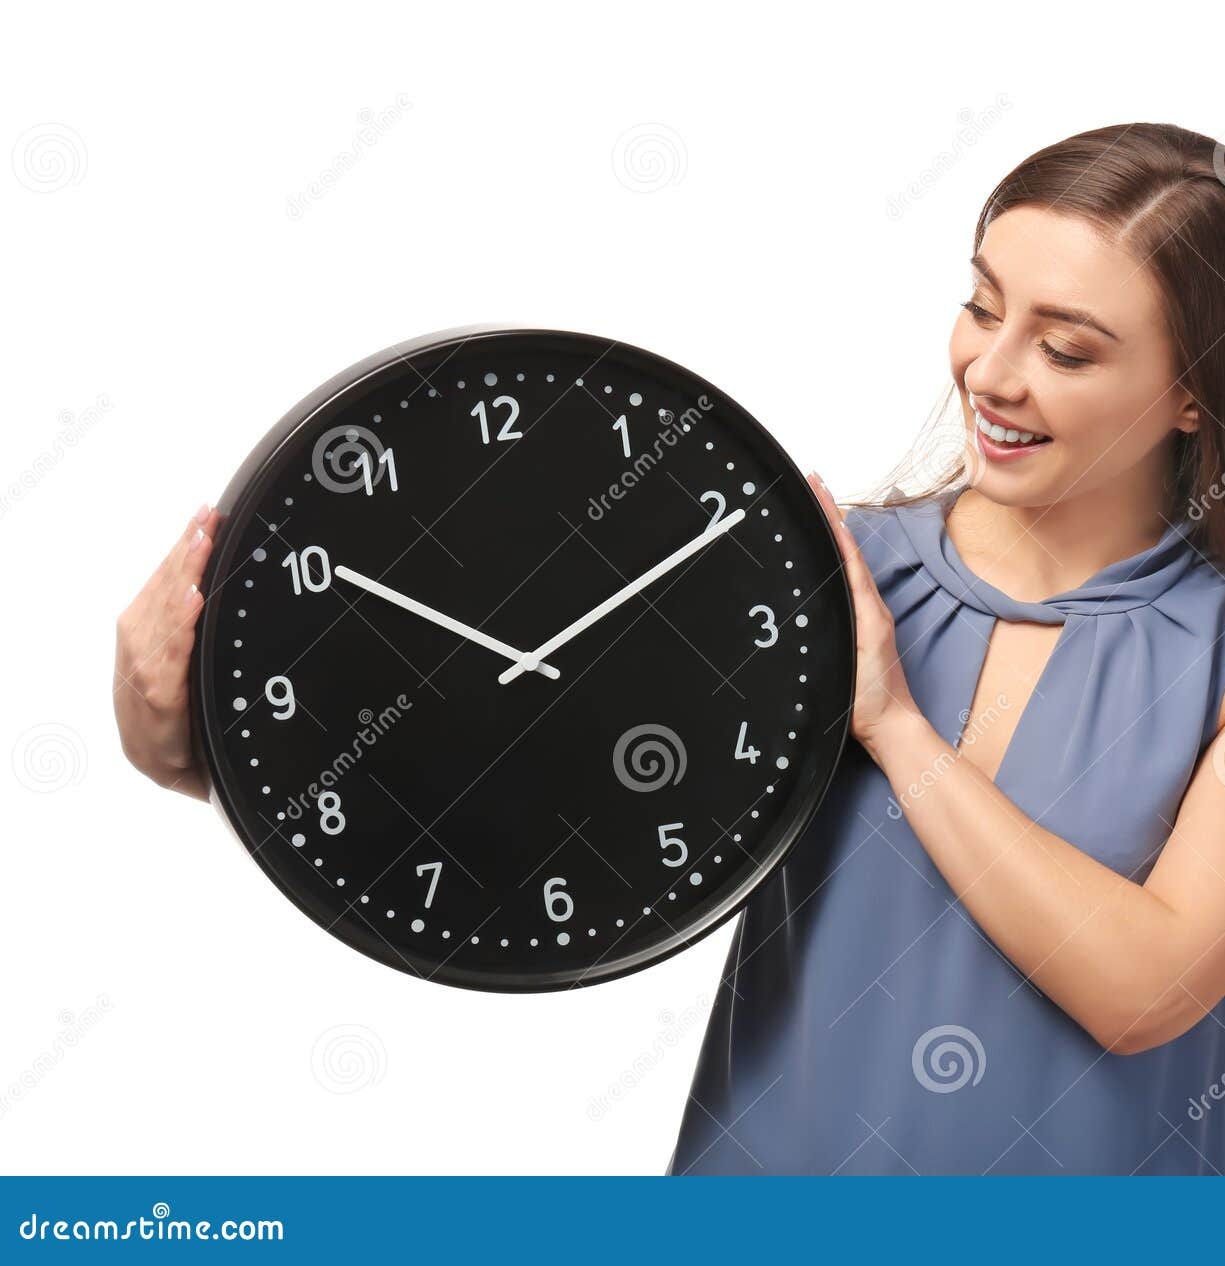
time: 10:10
